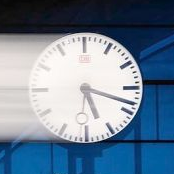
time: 5:18
